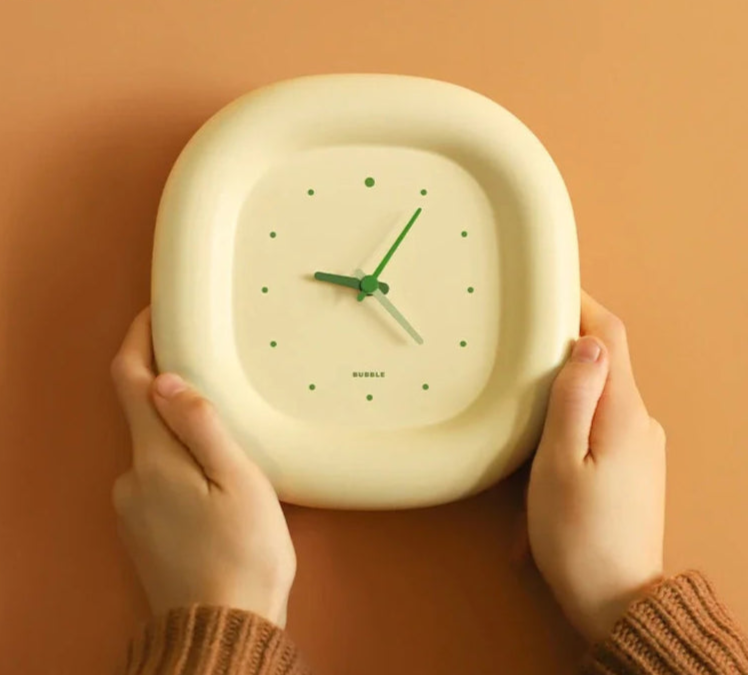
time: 9:05
